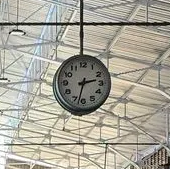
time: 2:32
